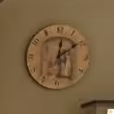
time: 12:09
